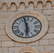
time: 5:57
